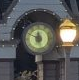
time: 11:49
